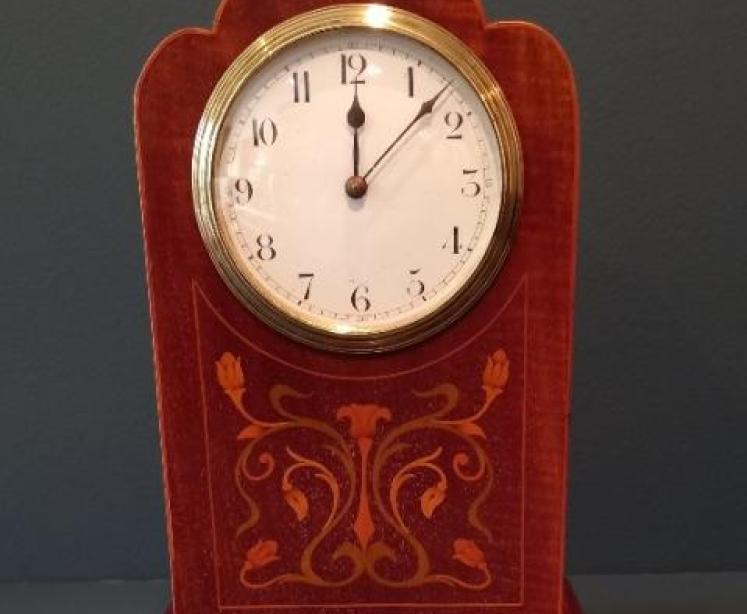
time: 12:07
